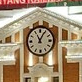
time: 11:04
